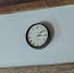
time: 3:08
